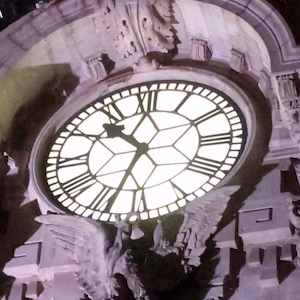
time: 10:33
